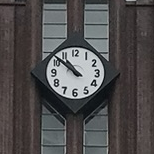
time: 10:51
